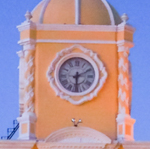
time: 6:10
